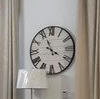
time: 3:56
